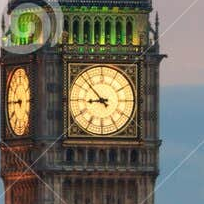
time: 8:52
